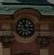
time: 11:14
